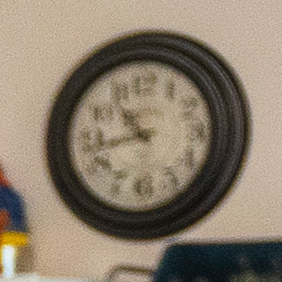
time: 10:42
